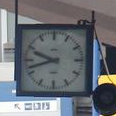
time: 9:42
